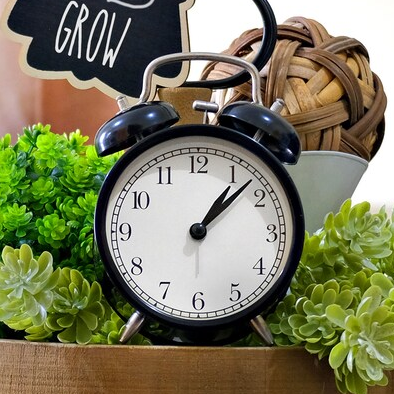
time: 1:07
